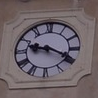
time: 9:19
